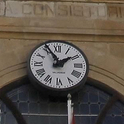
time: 1:55
